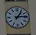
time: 1:13
